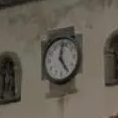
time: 12:24
